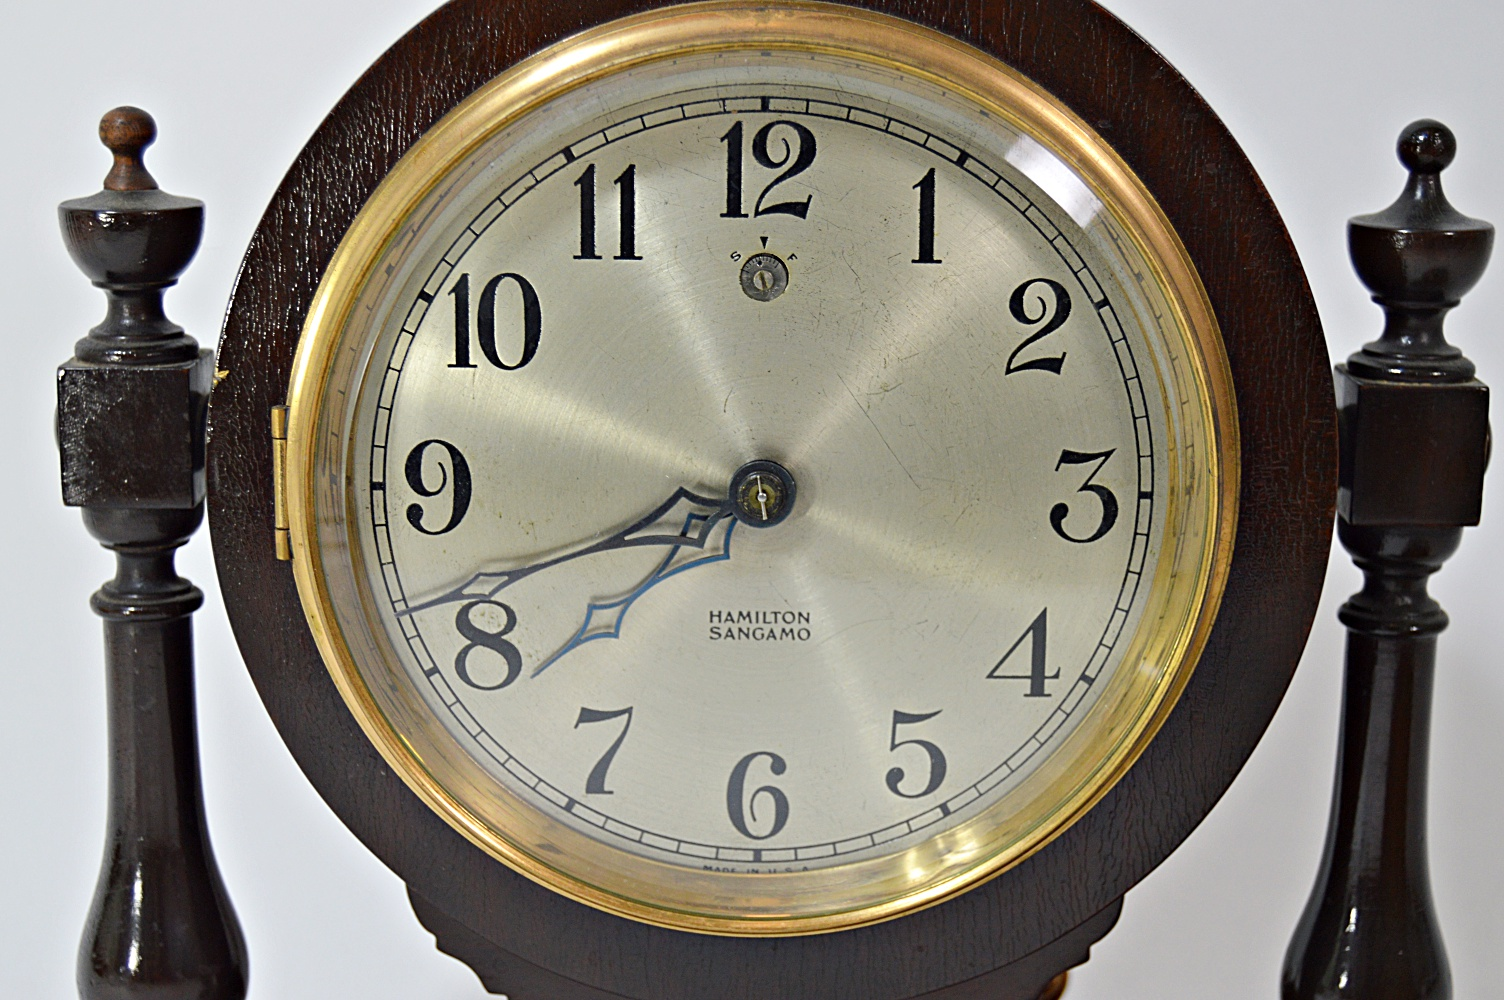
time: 7:41
